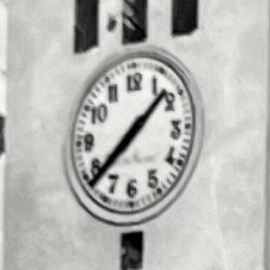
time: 1:38
